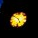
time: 4:50
